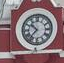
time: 10:36
